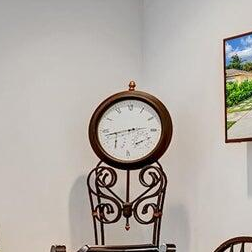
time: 2:42
